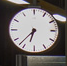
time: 6:37
